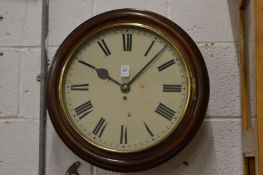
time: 10:07
